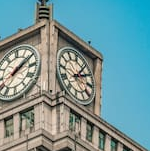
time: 2:06
